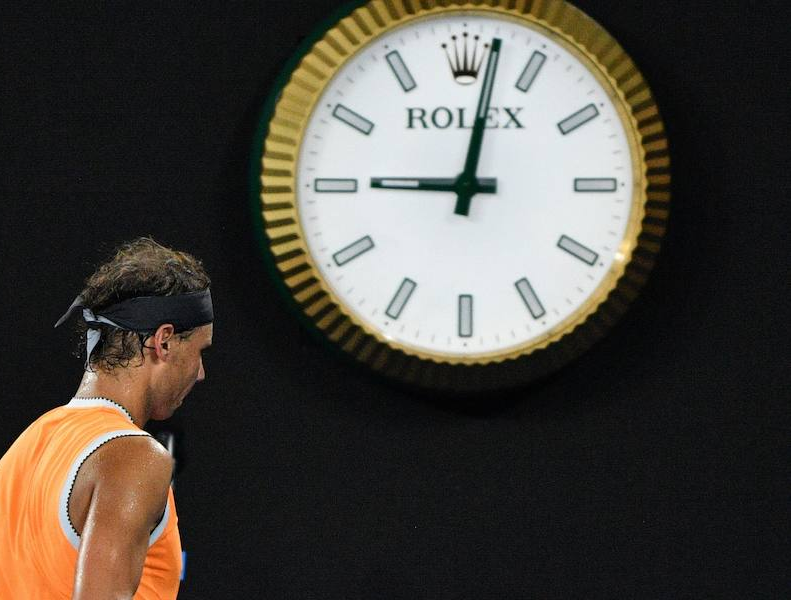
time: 9:01
